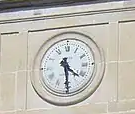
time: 4:28
